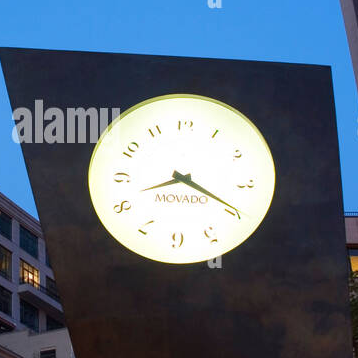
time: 8:19
